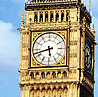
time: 5:42
